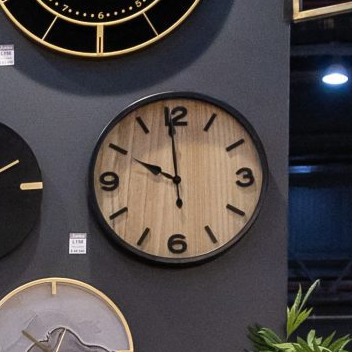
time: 9:59
